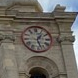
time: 1:26
